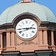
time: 2:45
